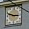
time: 2:48
